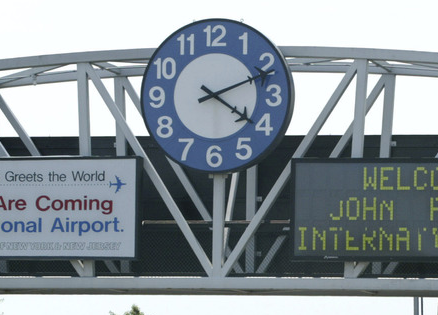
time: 4:11
